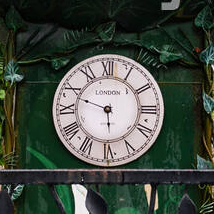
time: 5:48
